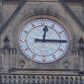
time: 12:15
